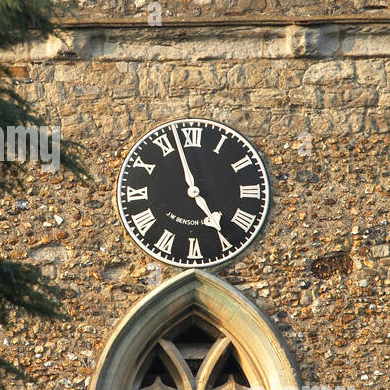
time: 4:57
